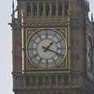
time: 1:18
